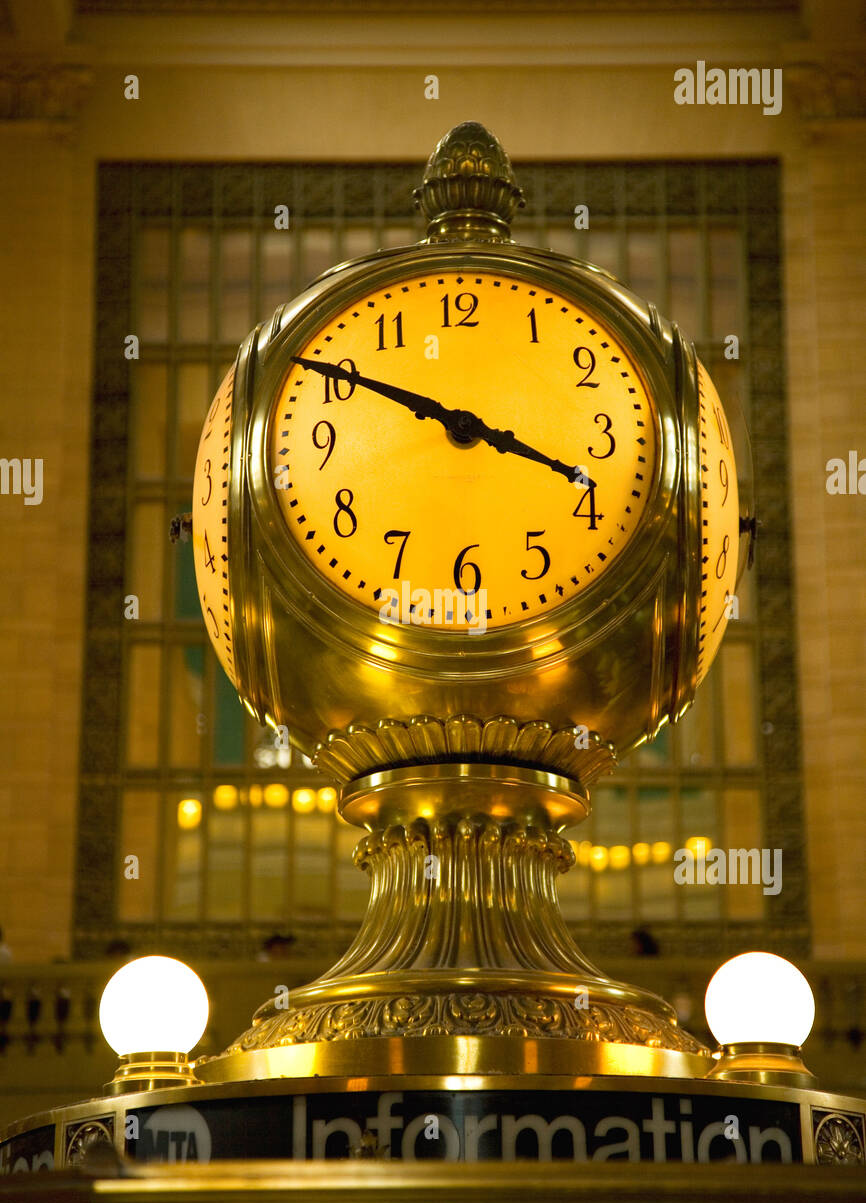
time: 3:50
